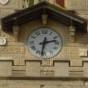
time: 2:32
